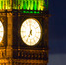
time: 6:59
